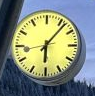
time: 6:06
